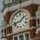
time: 1:42
